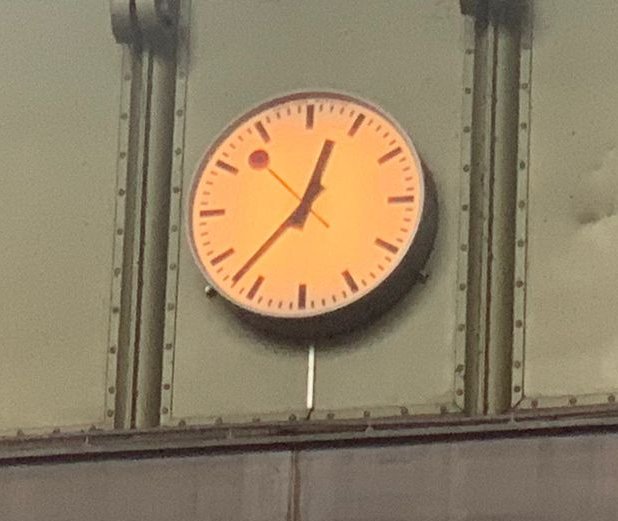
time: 12:37
